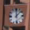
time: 12:07
